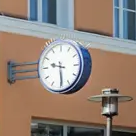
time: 9:29
